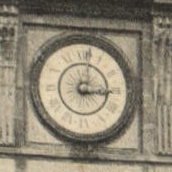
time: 3:01
